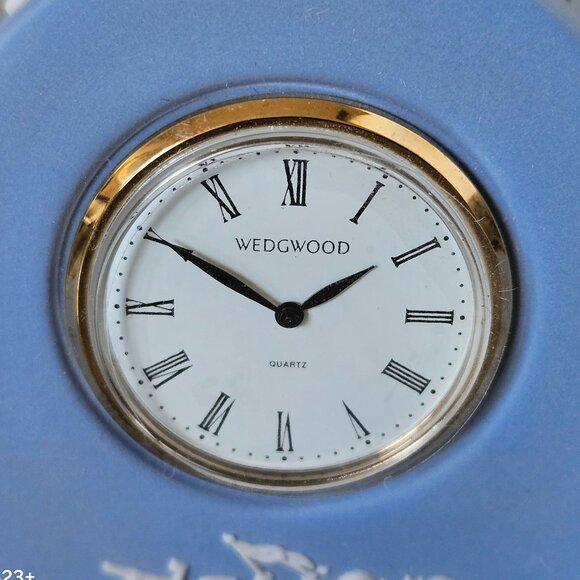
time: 1:50
